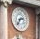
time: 2:36
